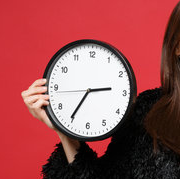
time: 2:35
